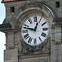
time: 12:47
